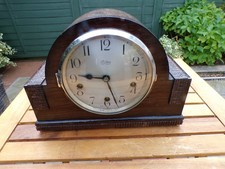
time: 9:27
